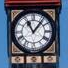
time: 11:06
